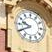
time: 9:40
